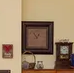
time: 12:53
